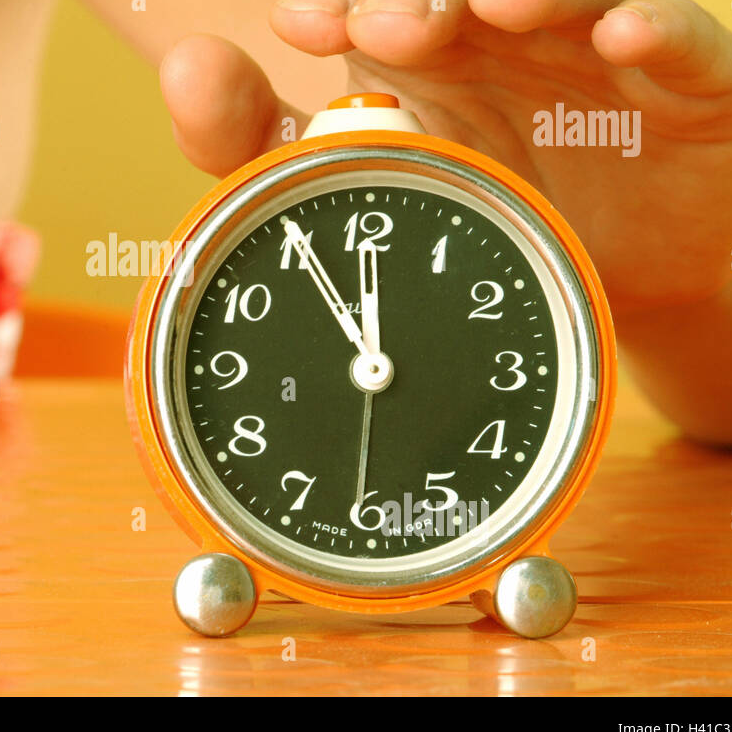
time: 11:55
